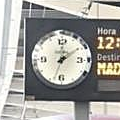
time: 12:09
